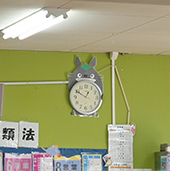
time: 12:49
